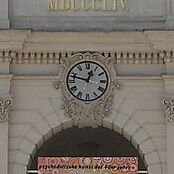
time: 12:47
